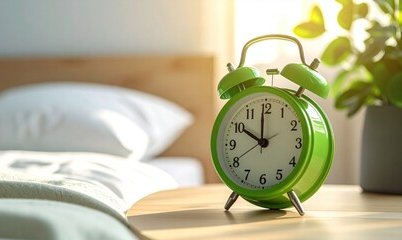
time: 9:59
